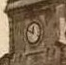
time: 11:48
